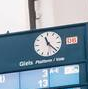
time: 11:22
